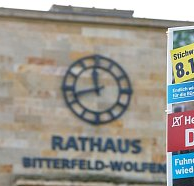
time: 11:42
